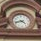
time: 4:42
